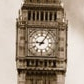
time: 9:05
